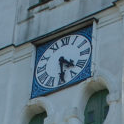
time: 4:29
